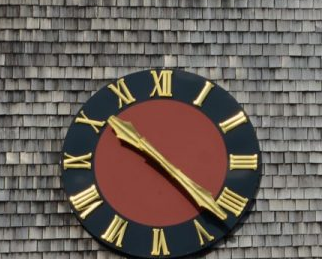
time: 10:22
